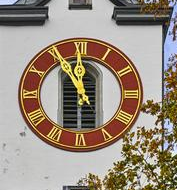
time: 11:55
